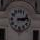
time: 3:12
